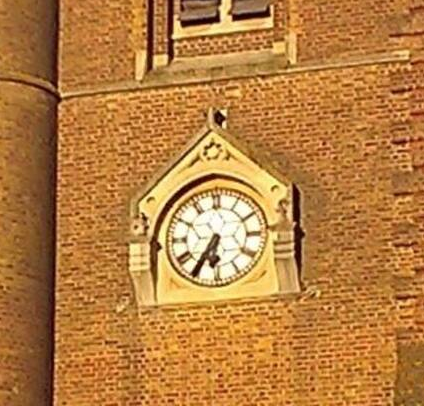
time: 6:35
